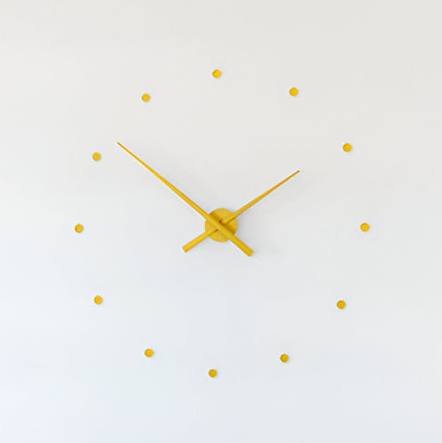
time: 1:51
